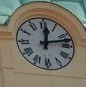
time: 12:12
